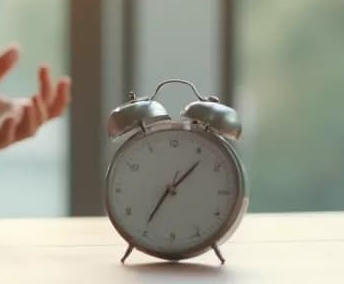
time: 1:35
